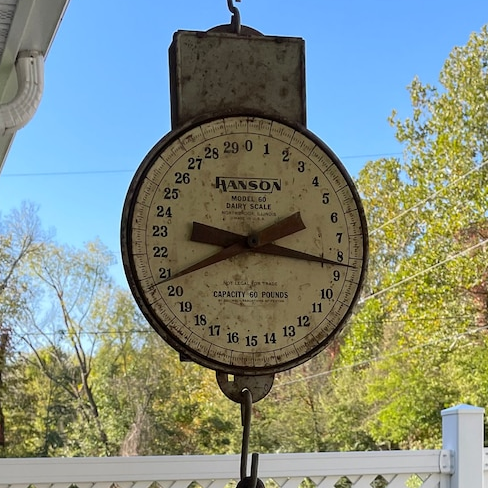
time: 2:16
